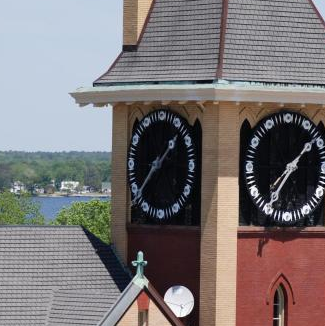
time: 1:38
